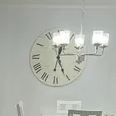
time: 12:25
